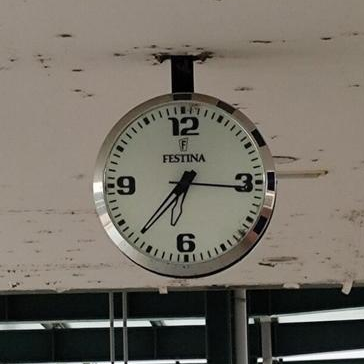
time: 6:36
